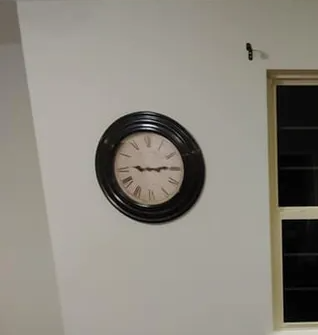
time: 9:14
